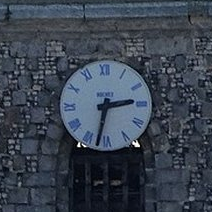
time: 2:32
